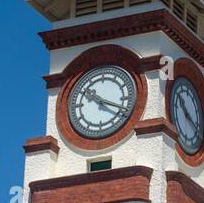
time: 10:18
